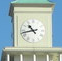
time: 10:42
